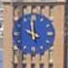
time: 9:59
